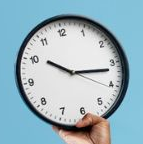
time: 10:16
